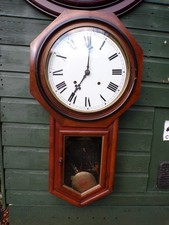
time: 7:01
